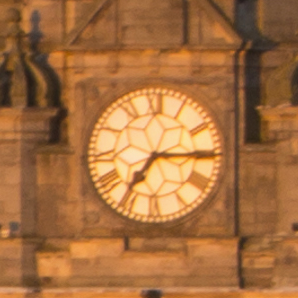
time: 7:14
